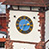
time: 2:33
